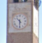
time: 10:30
